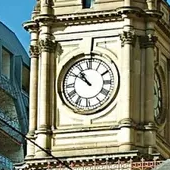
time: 10:51
